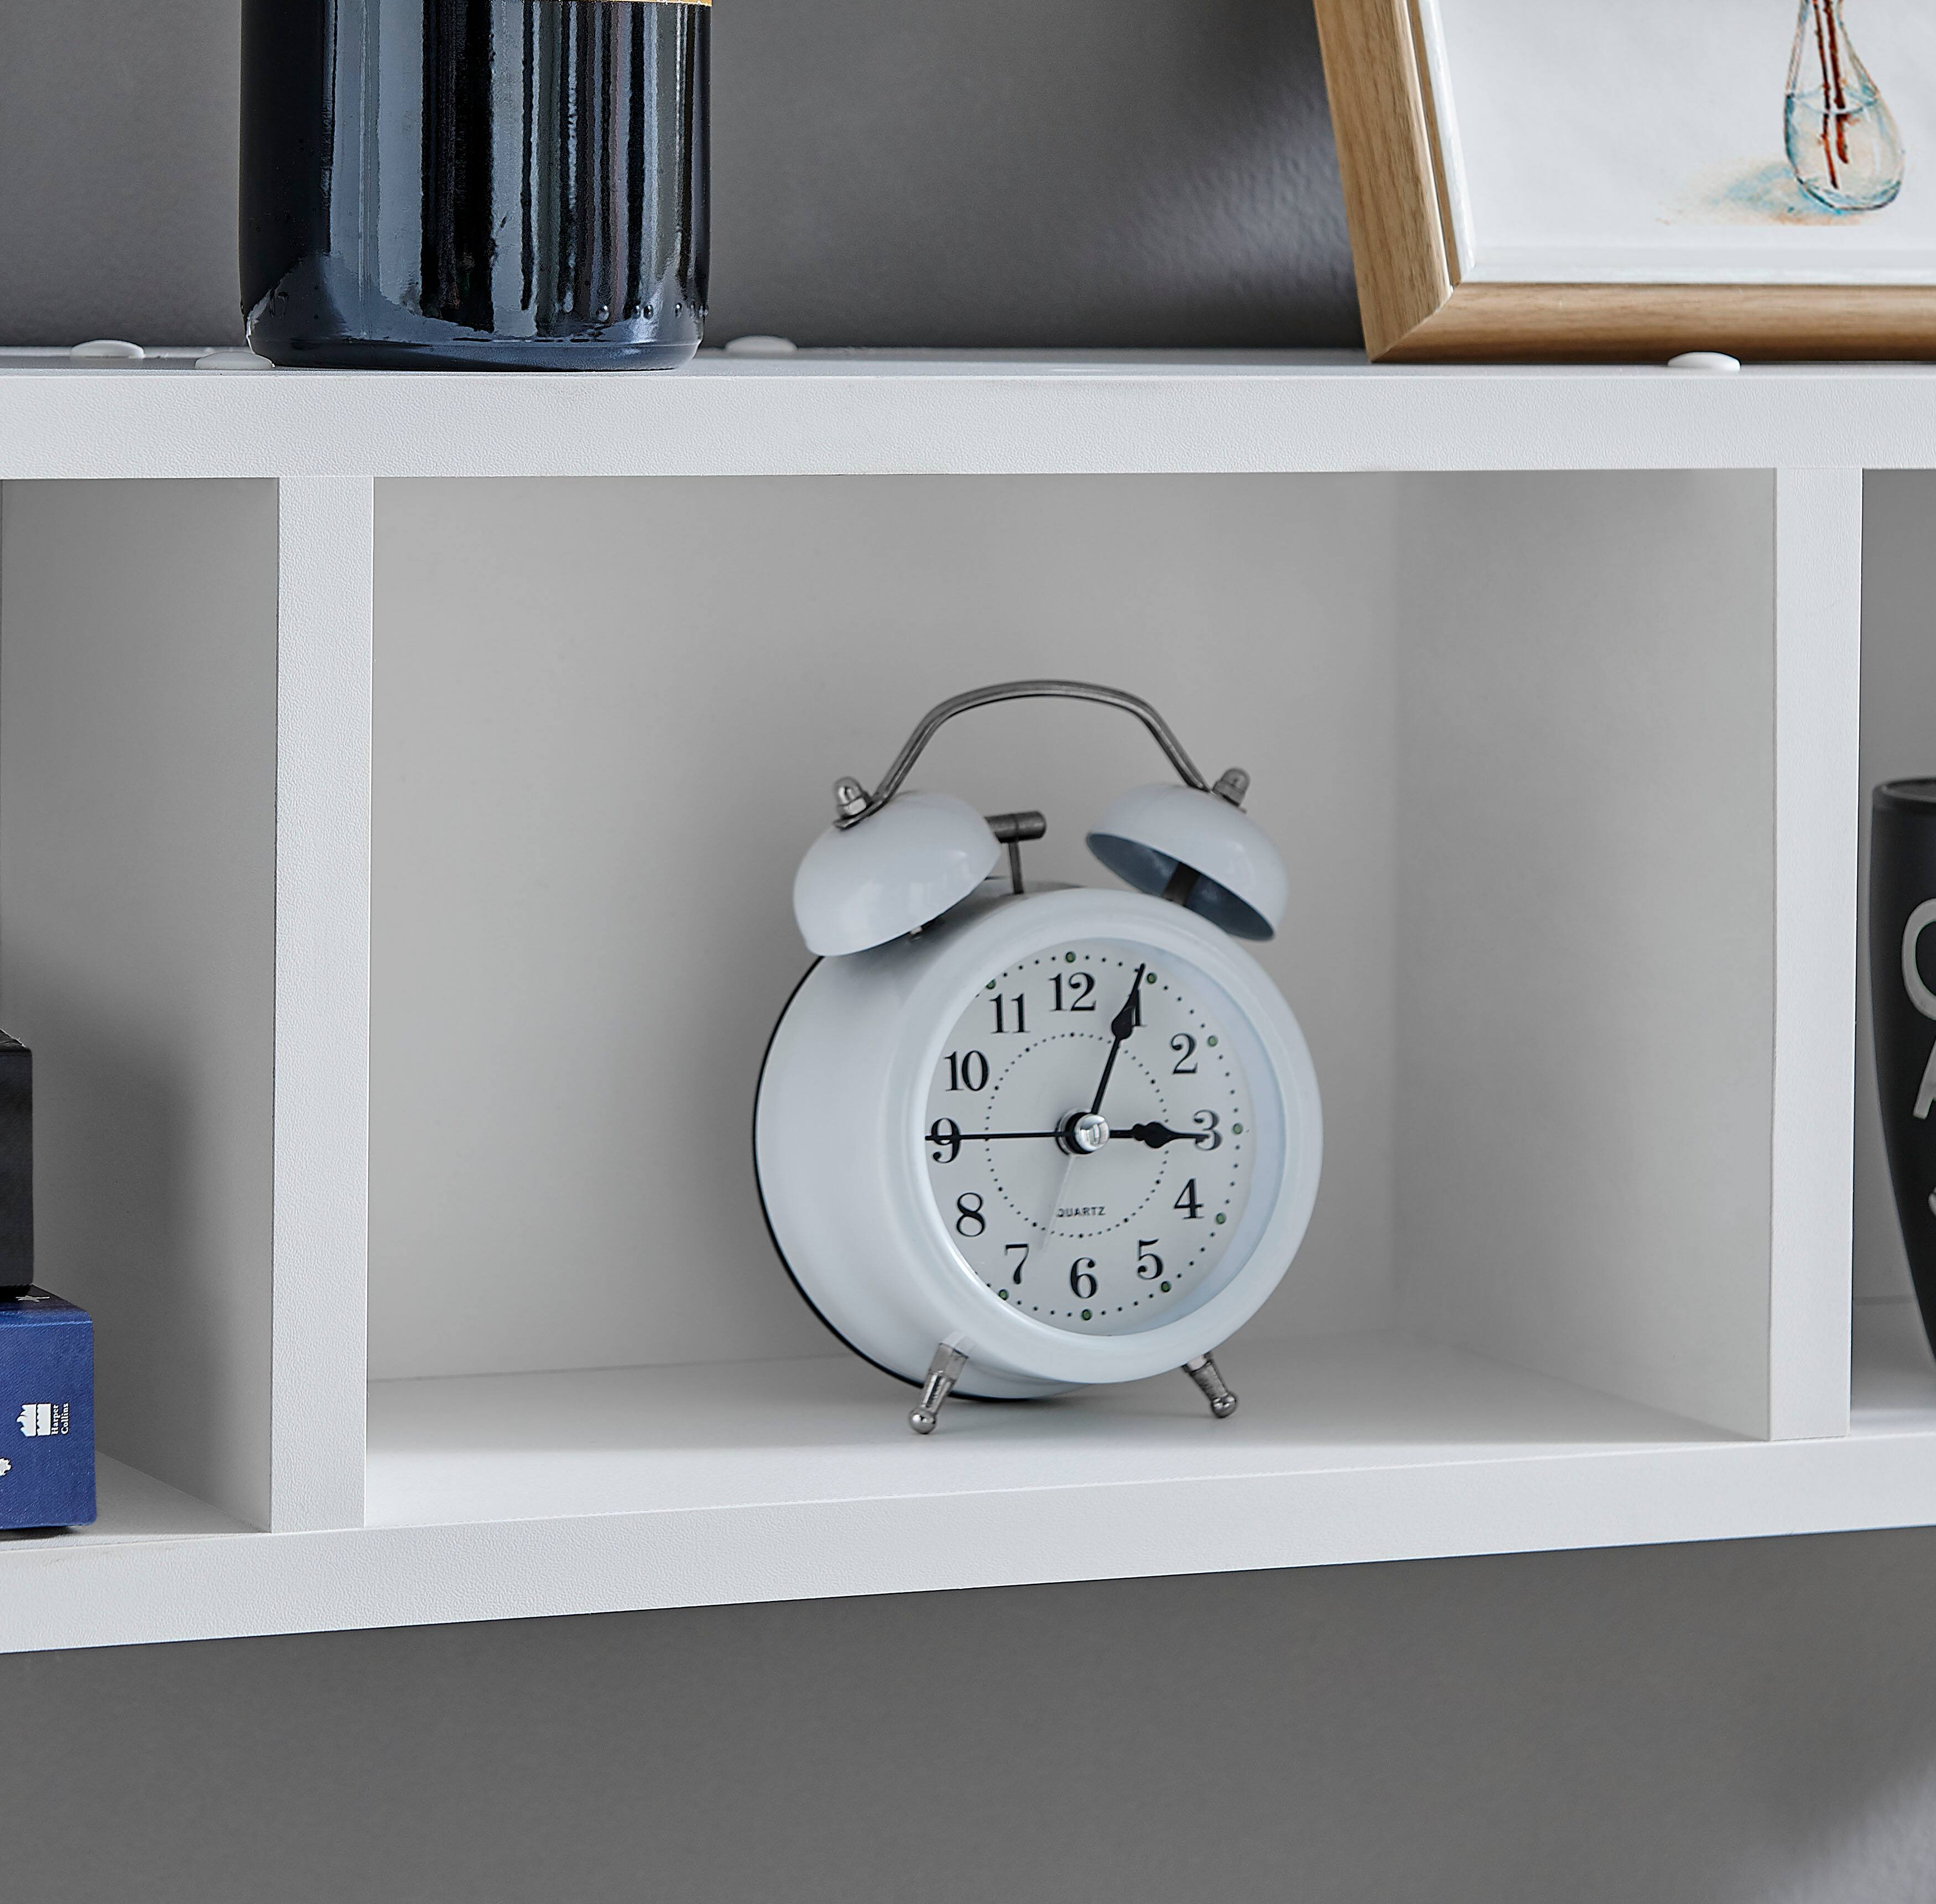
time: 3:04
